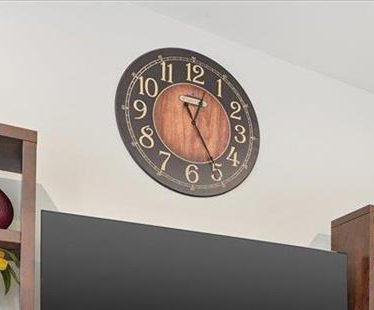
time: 12:24
